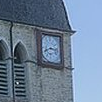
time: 8:16
